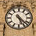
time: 5:22
